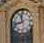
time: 11:42
